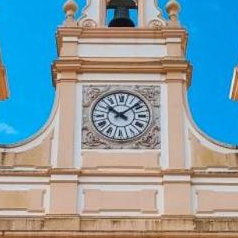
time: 10:08
